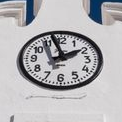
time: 1:57
